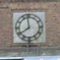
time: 7:58
